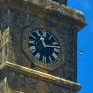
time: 11:13
